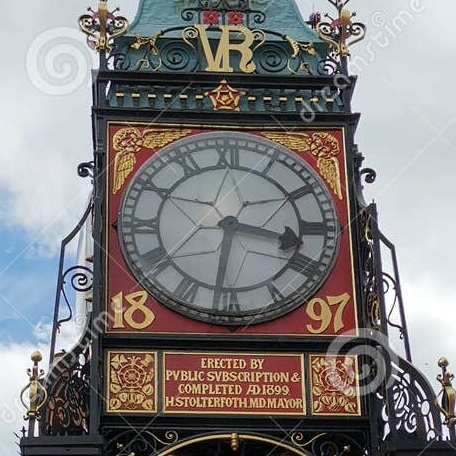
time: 3:31
